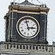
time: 2:57
